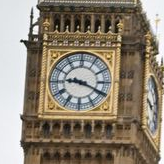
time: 9:19
